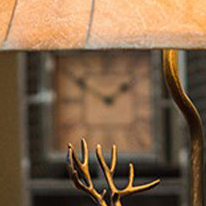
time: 1:50
